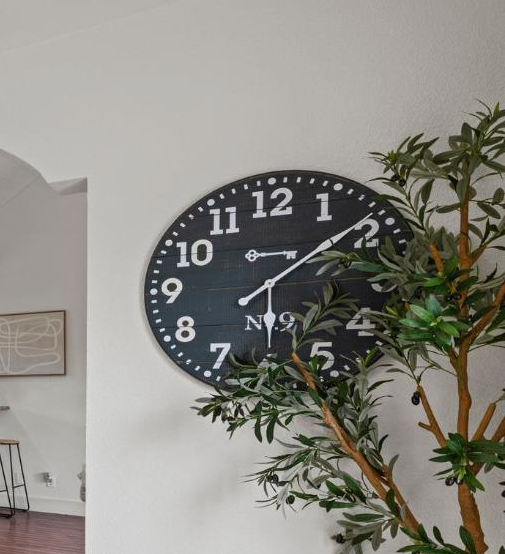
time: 6:08
